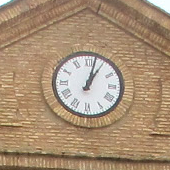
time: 1:02
